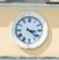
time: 3:21
